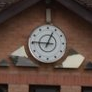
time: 12:46
